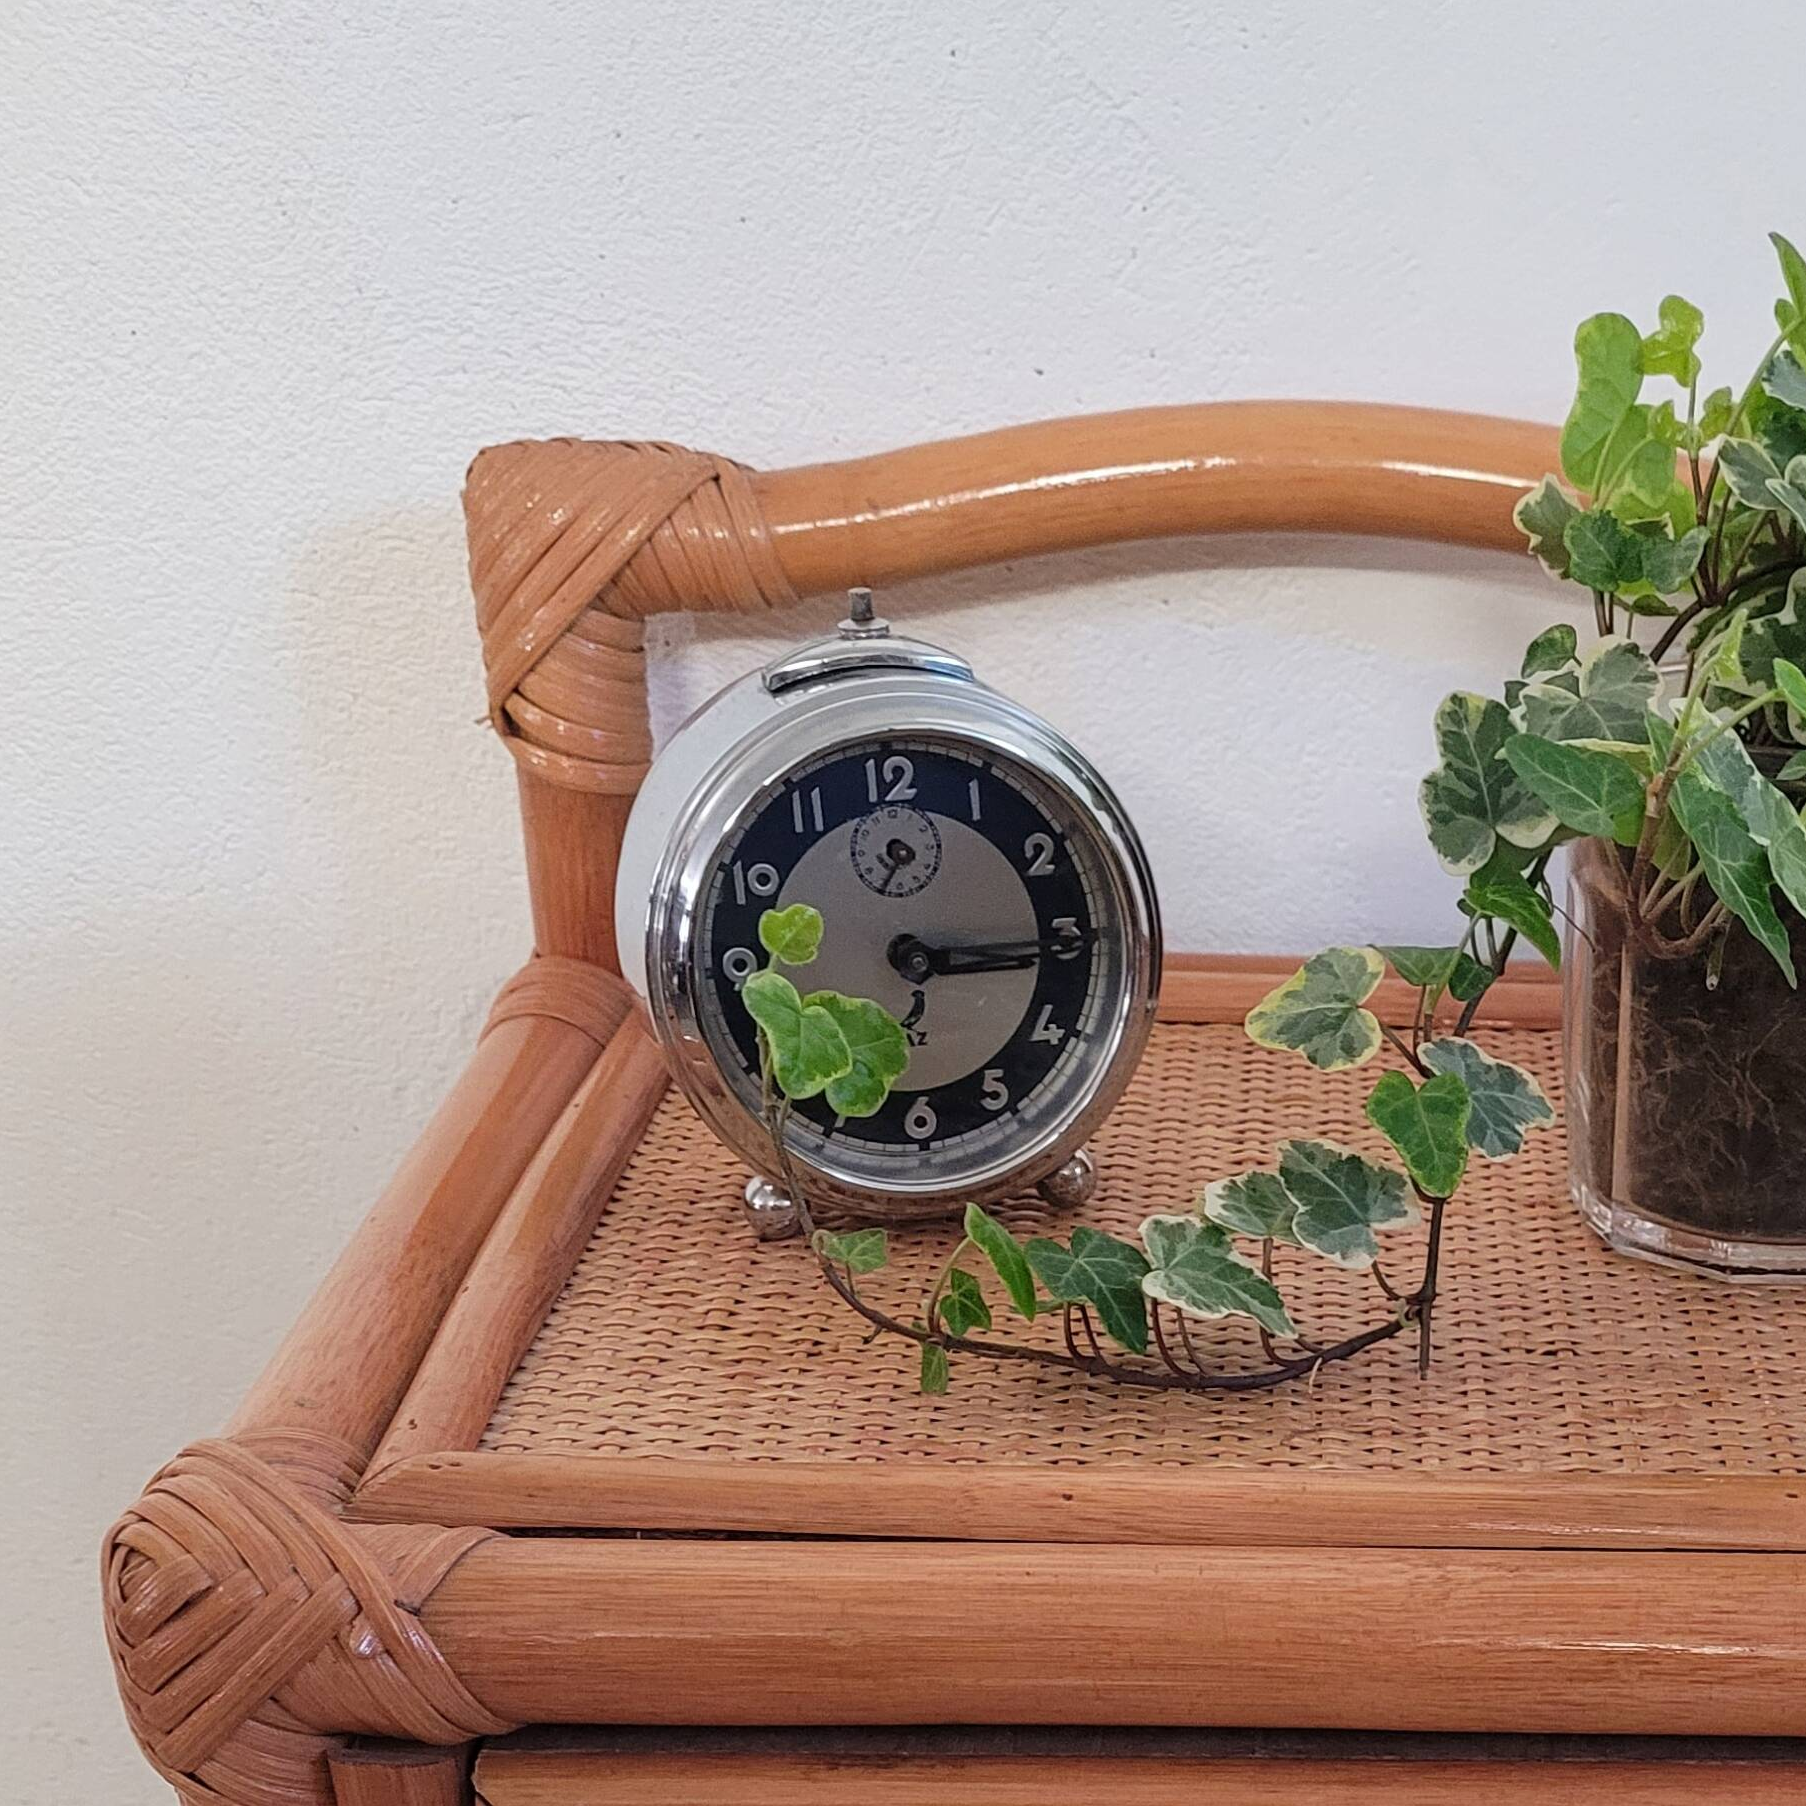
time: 3:15
